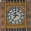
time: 11:35
